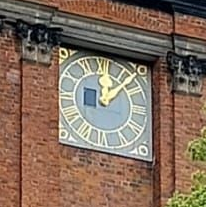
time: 12:07
